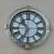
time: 10:33
